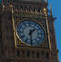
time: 1:30
